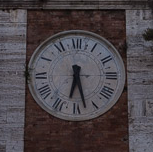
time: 6:27
